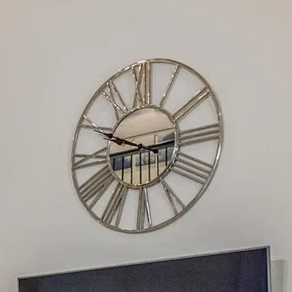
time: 2:49
